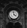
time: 3:58
